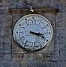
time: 3:19
